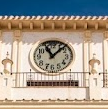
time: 11:07
